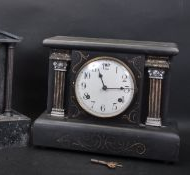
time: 11:14
